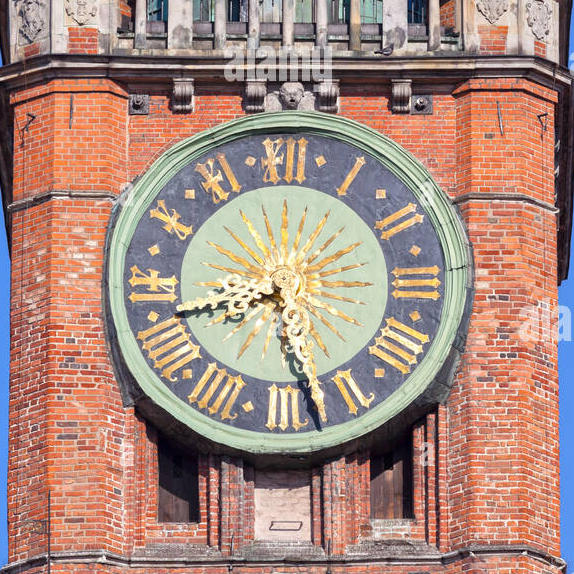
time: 8:27
